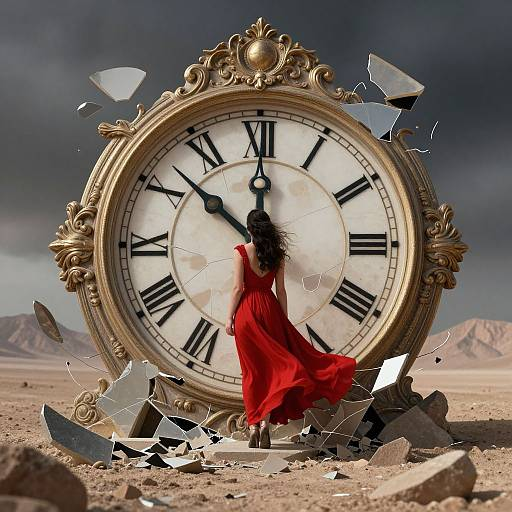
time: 11:51
